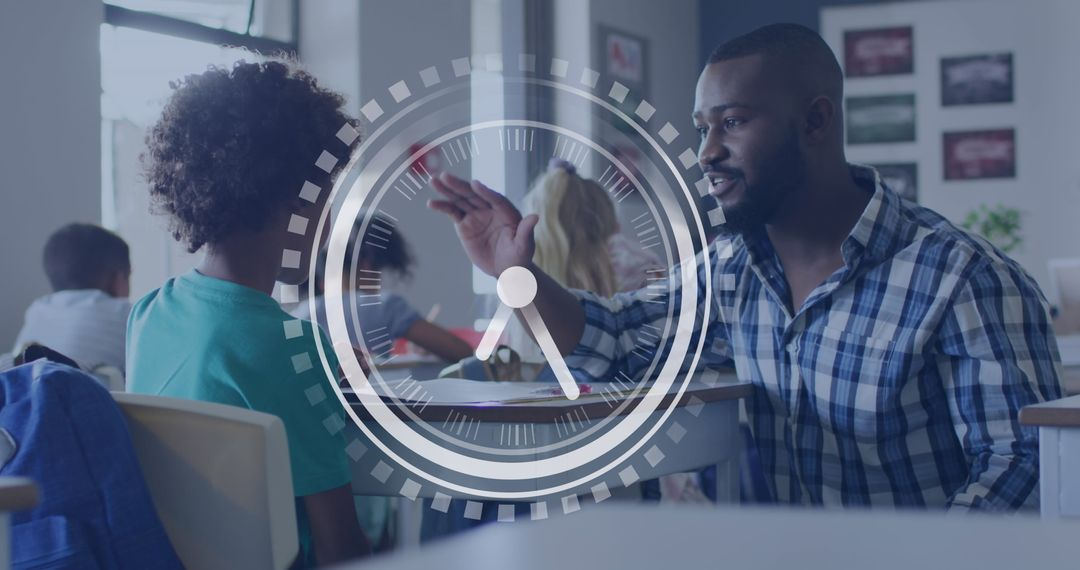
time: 6:25
